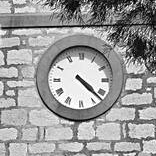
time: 4:22
